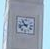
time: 10:42
